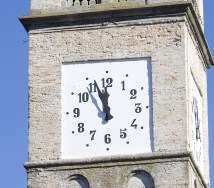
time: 11:56
